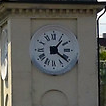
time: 1:21
